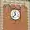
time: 11:37
